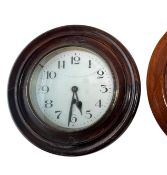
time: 5:31
